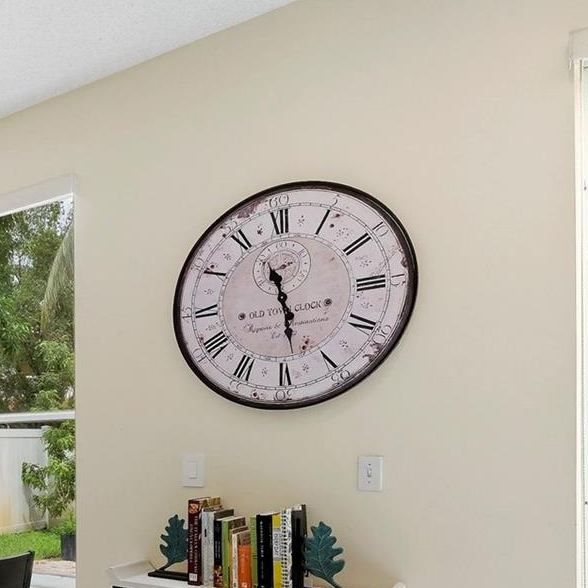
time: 11:28
